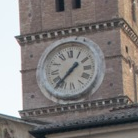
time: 1:37
